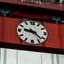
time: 9:22
